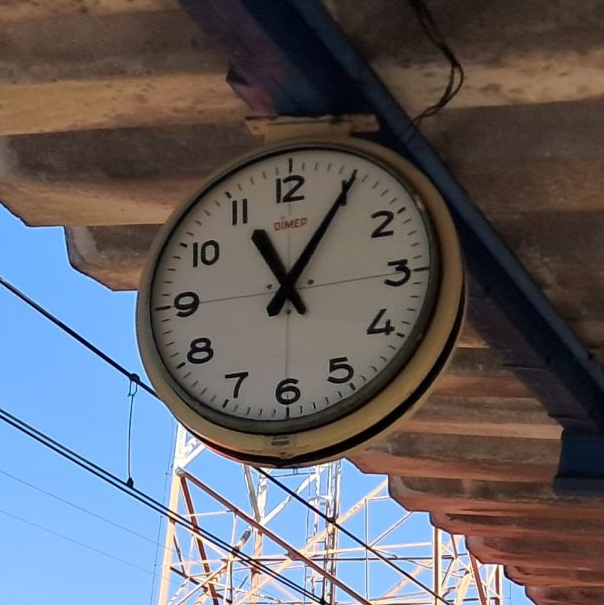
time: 11:05
